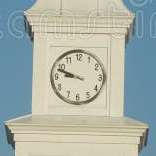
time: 8:48
